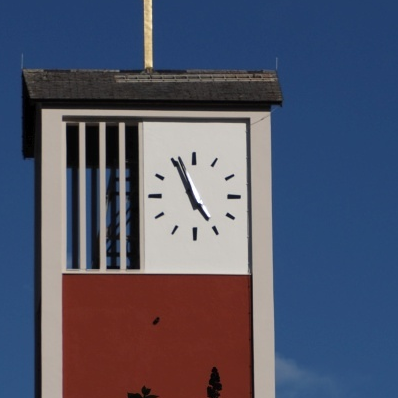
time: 4:55
